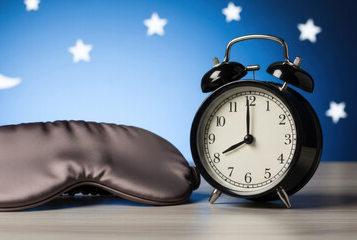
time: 7:59
